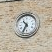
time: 10:34
